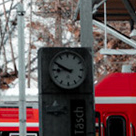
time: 8:49
